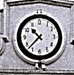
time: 10:37
